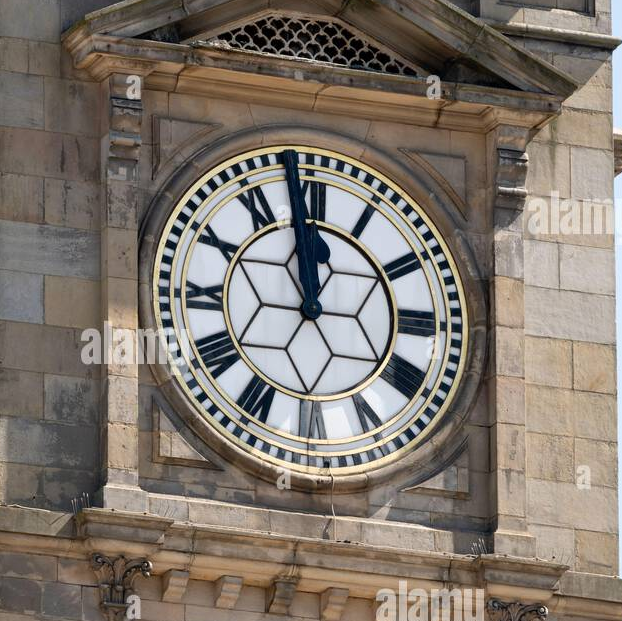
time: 11:58
